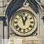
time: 12:57
